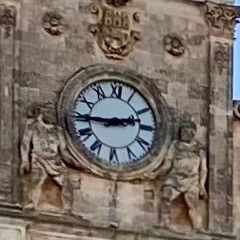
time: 2:44
